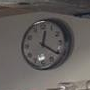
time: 12:20
